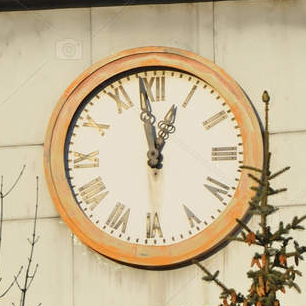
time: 12:58
